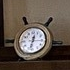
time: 12:32
